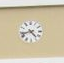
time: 4:42
